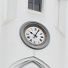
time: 10:04
